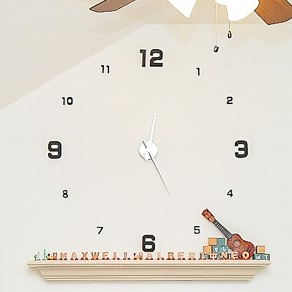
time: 5:26
